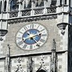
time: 2:23
